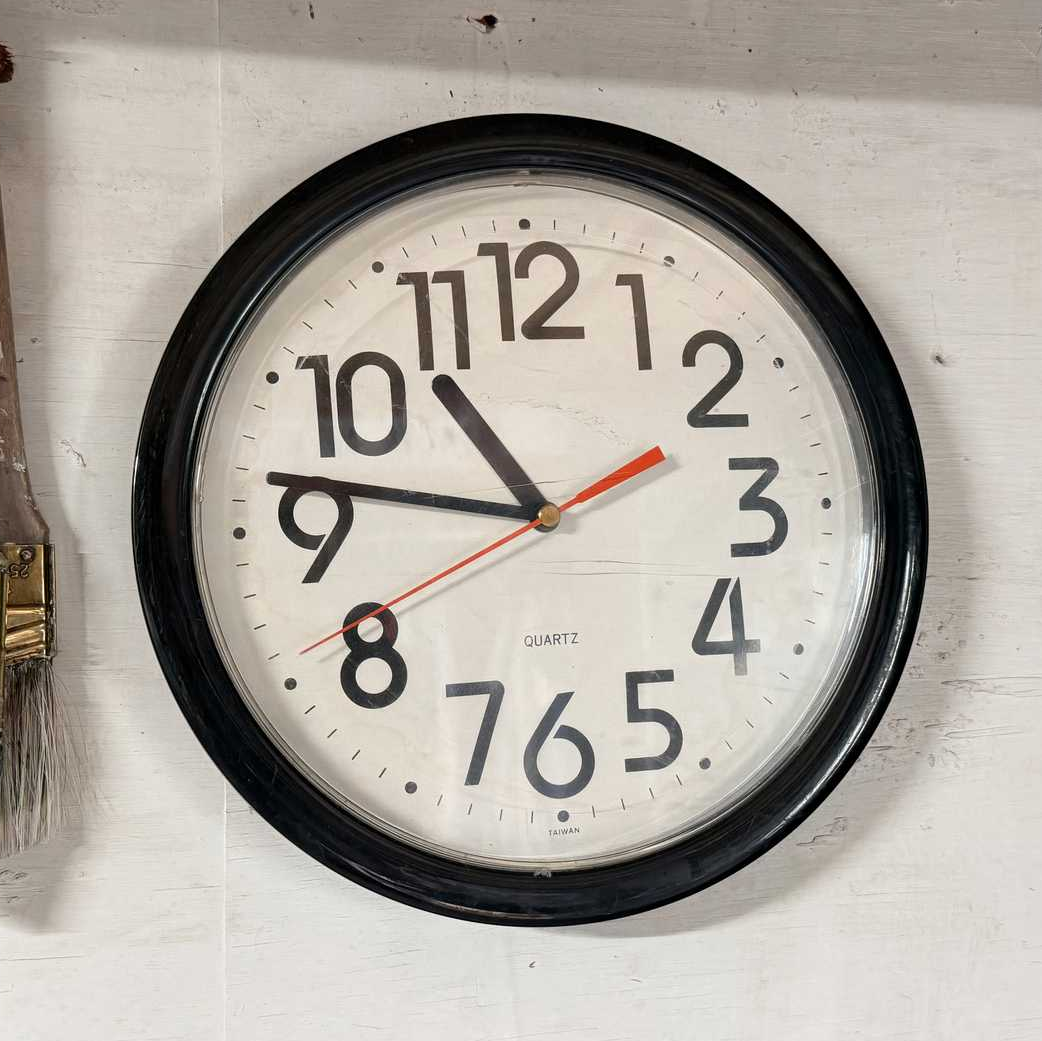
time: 10:46
